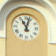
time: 11:02
